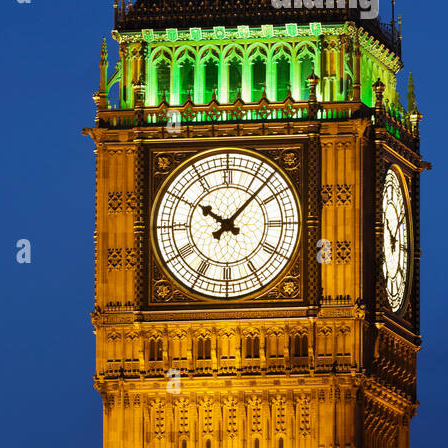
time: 10:07
